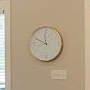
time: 11:49
